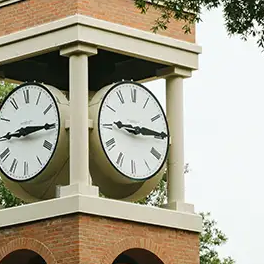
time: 9:14
